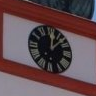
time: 12:07
